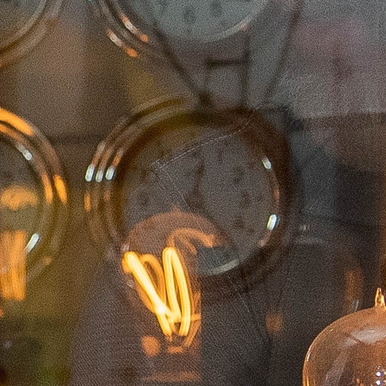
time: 12:23
